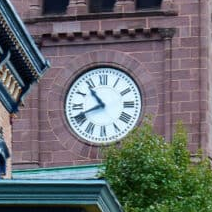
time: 10:41
